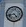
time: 4:42
